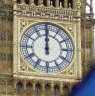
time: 11:59
